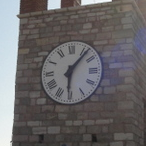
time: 6:06
